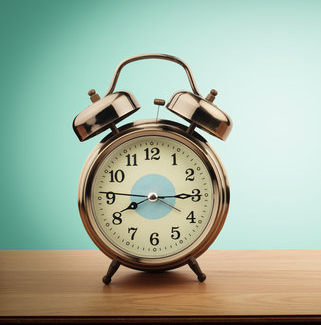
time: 8:14
